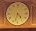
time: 4:32
